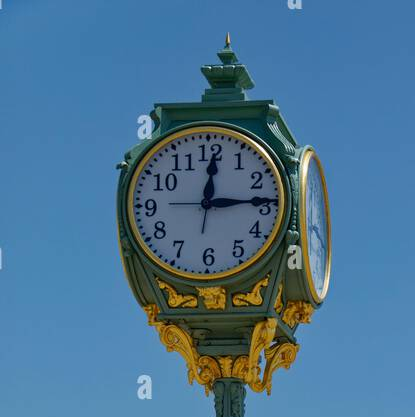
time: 12:14
